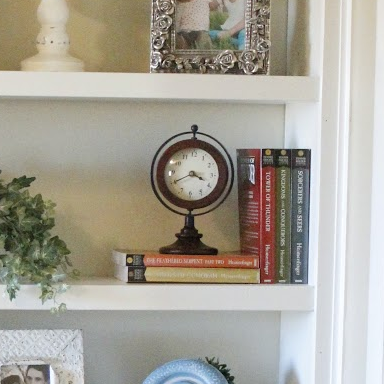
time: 3:40
